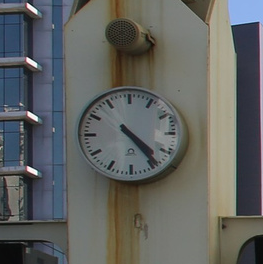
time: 4:23
